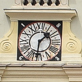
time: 1:31
